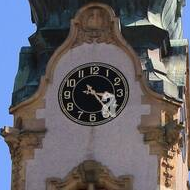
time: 3:23
